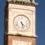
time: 4:27
